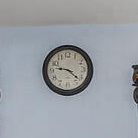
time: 9:21
